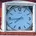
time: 7:43
